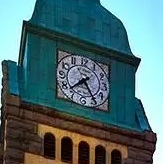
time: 7:24
